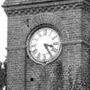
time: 3:24
